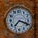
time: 7:18
